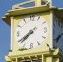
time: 7:39
